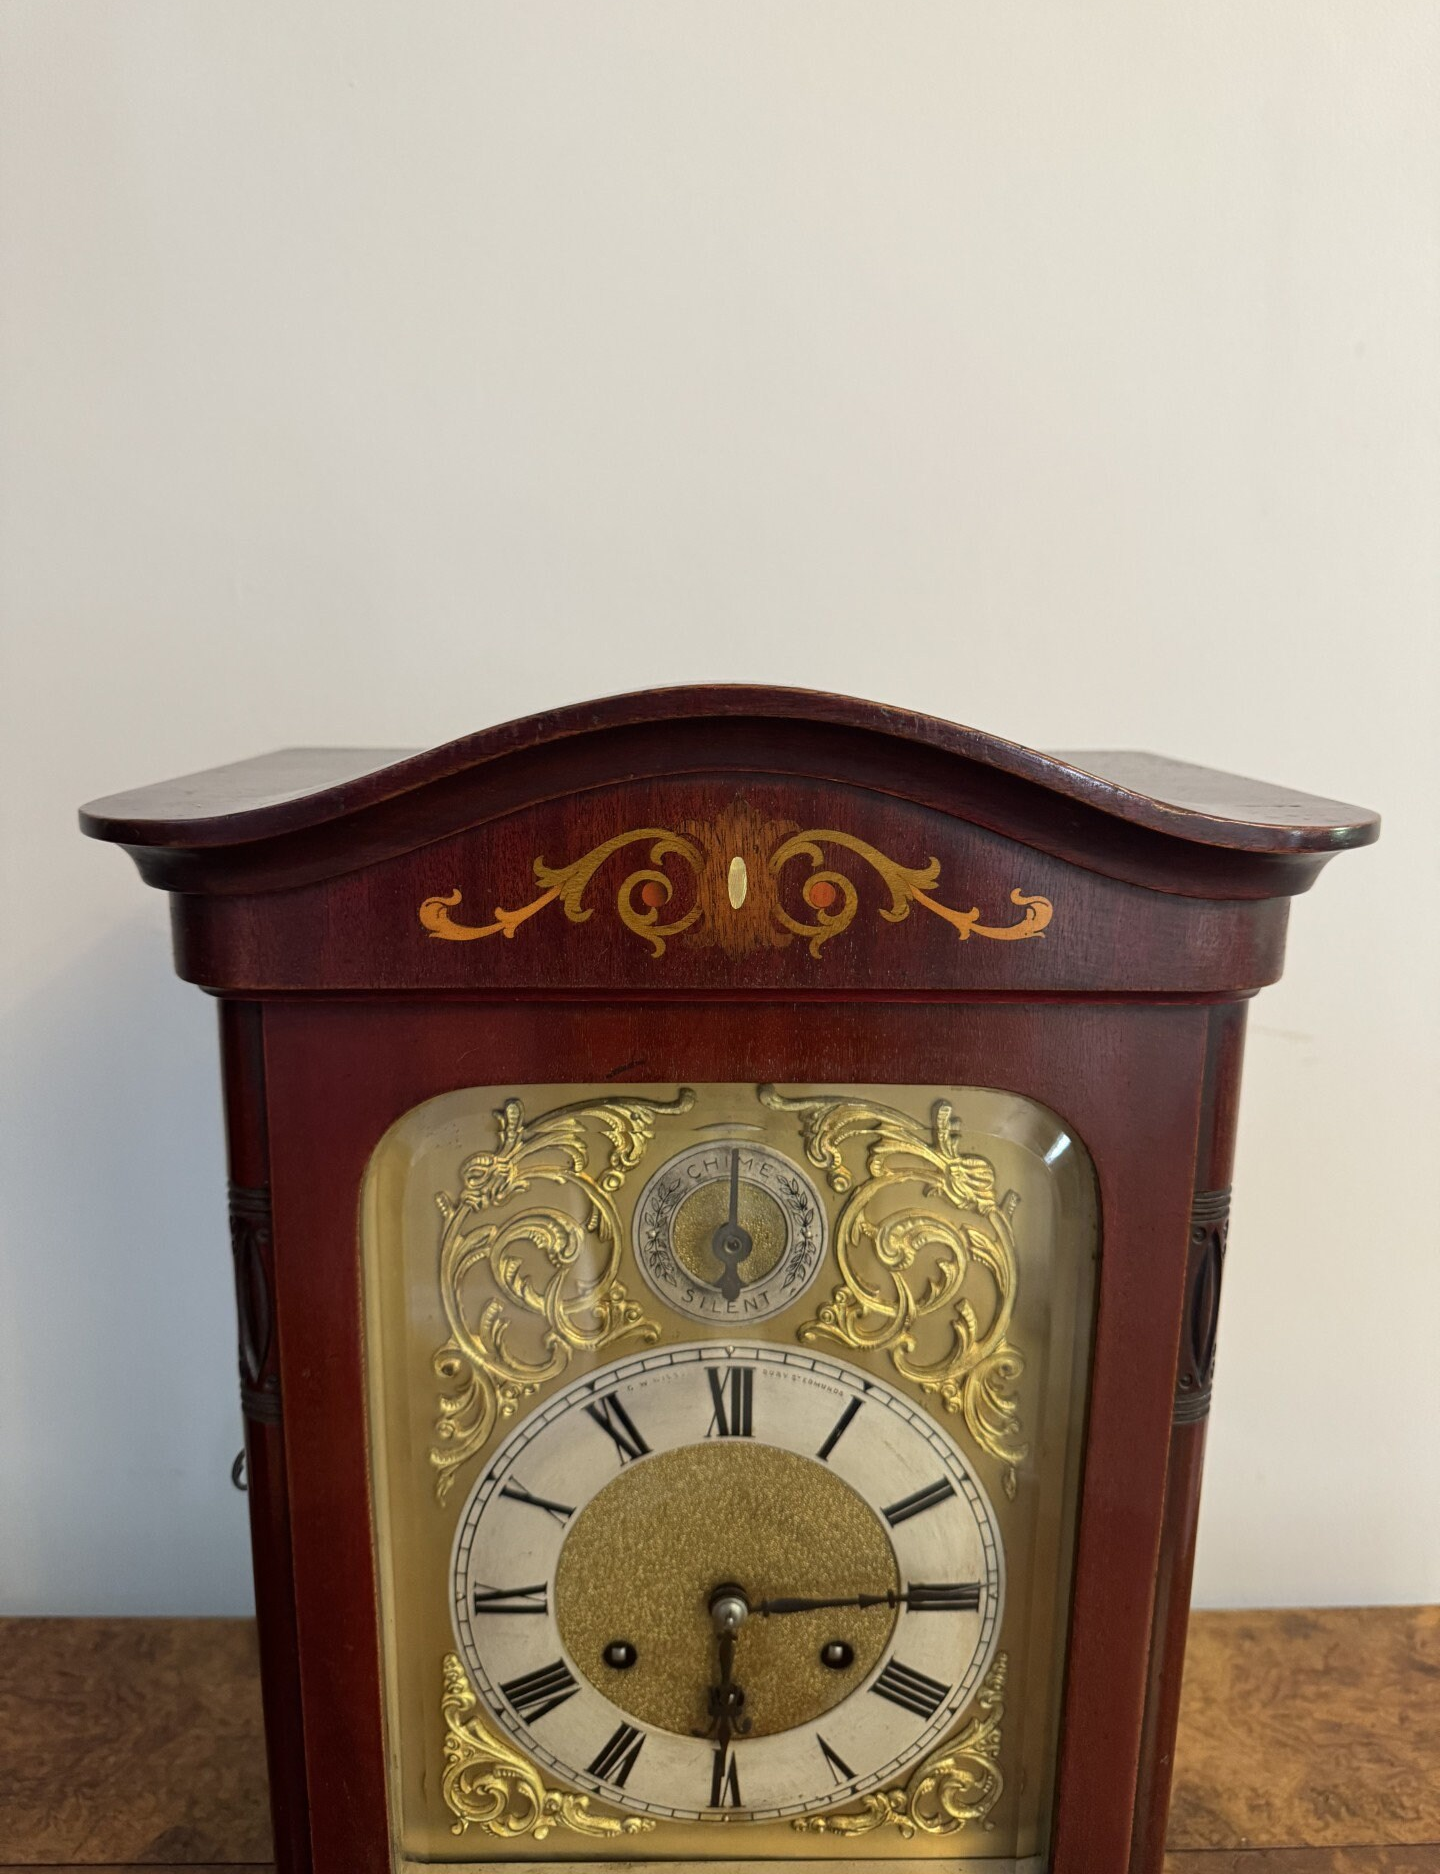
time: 6:14
